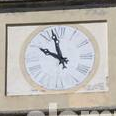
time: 9:57
